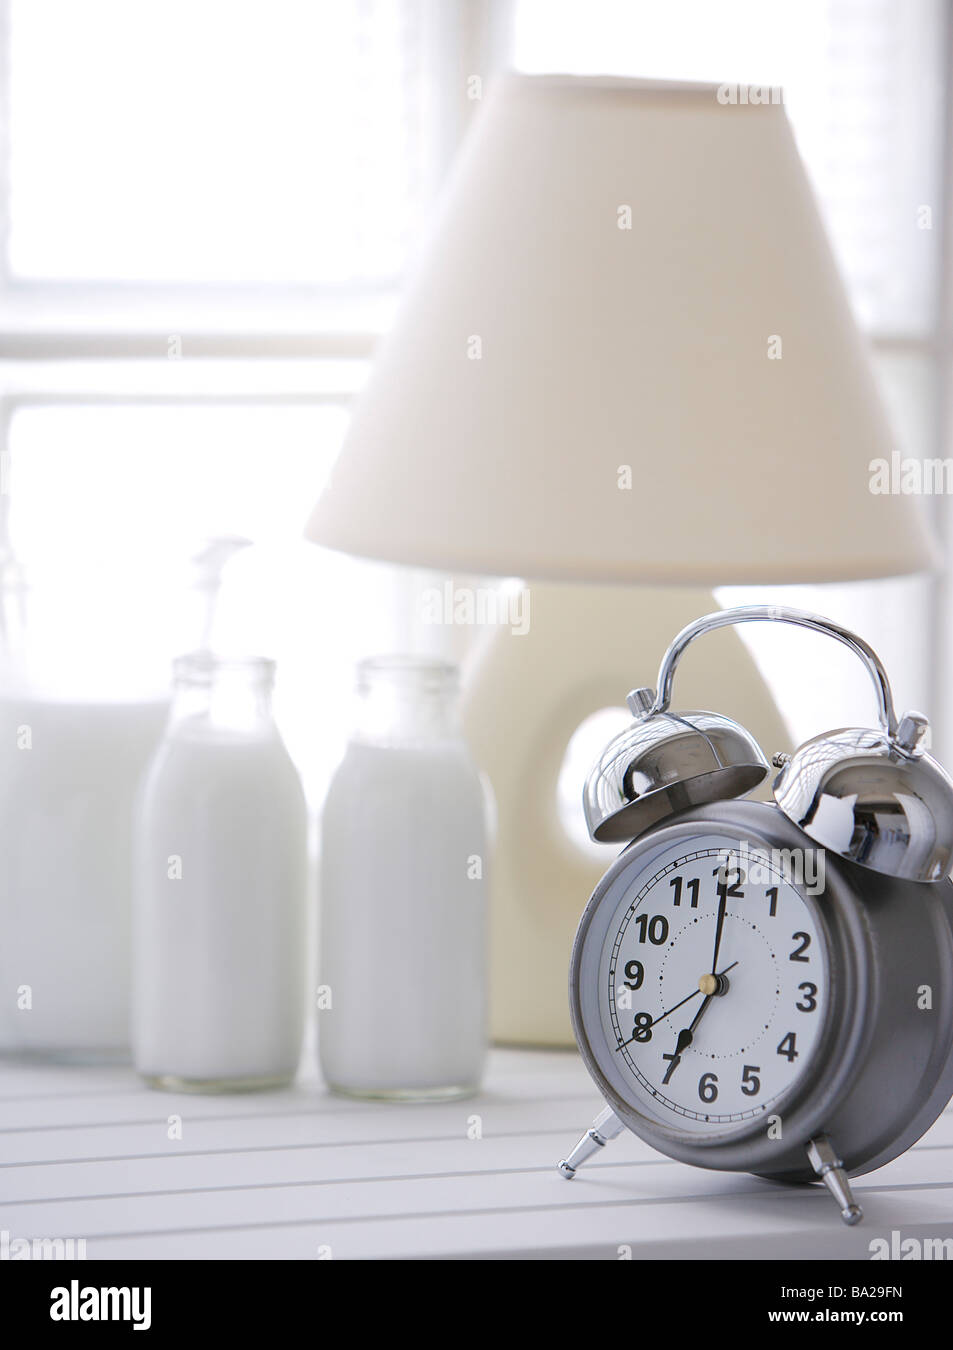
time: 7:00
